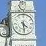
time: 4:29
